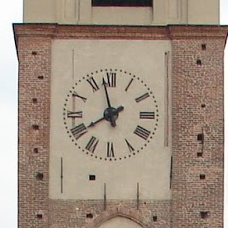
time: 7:57
